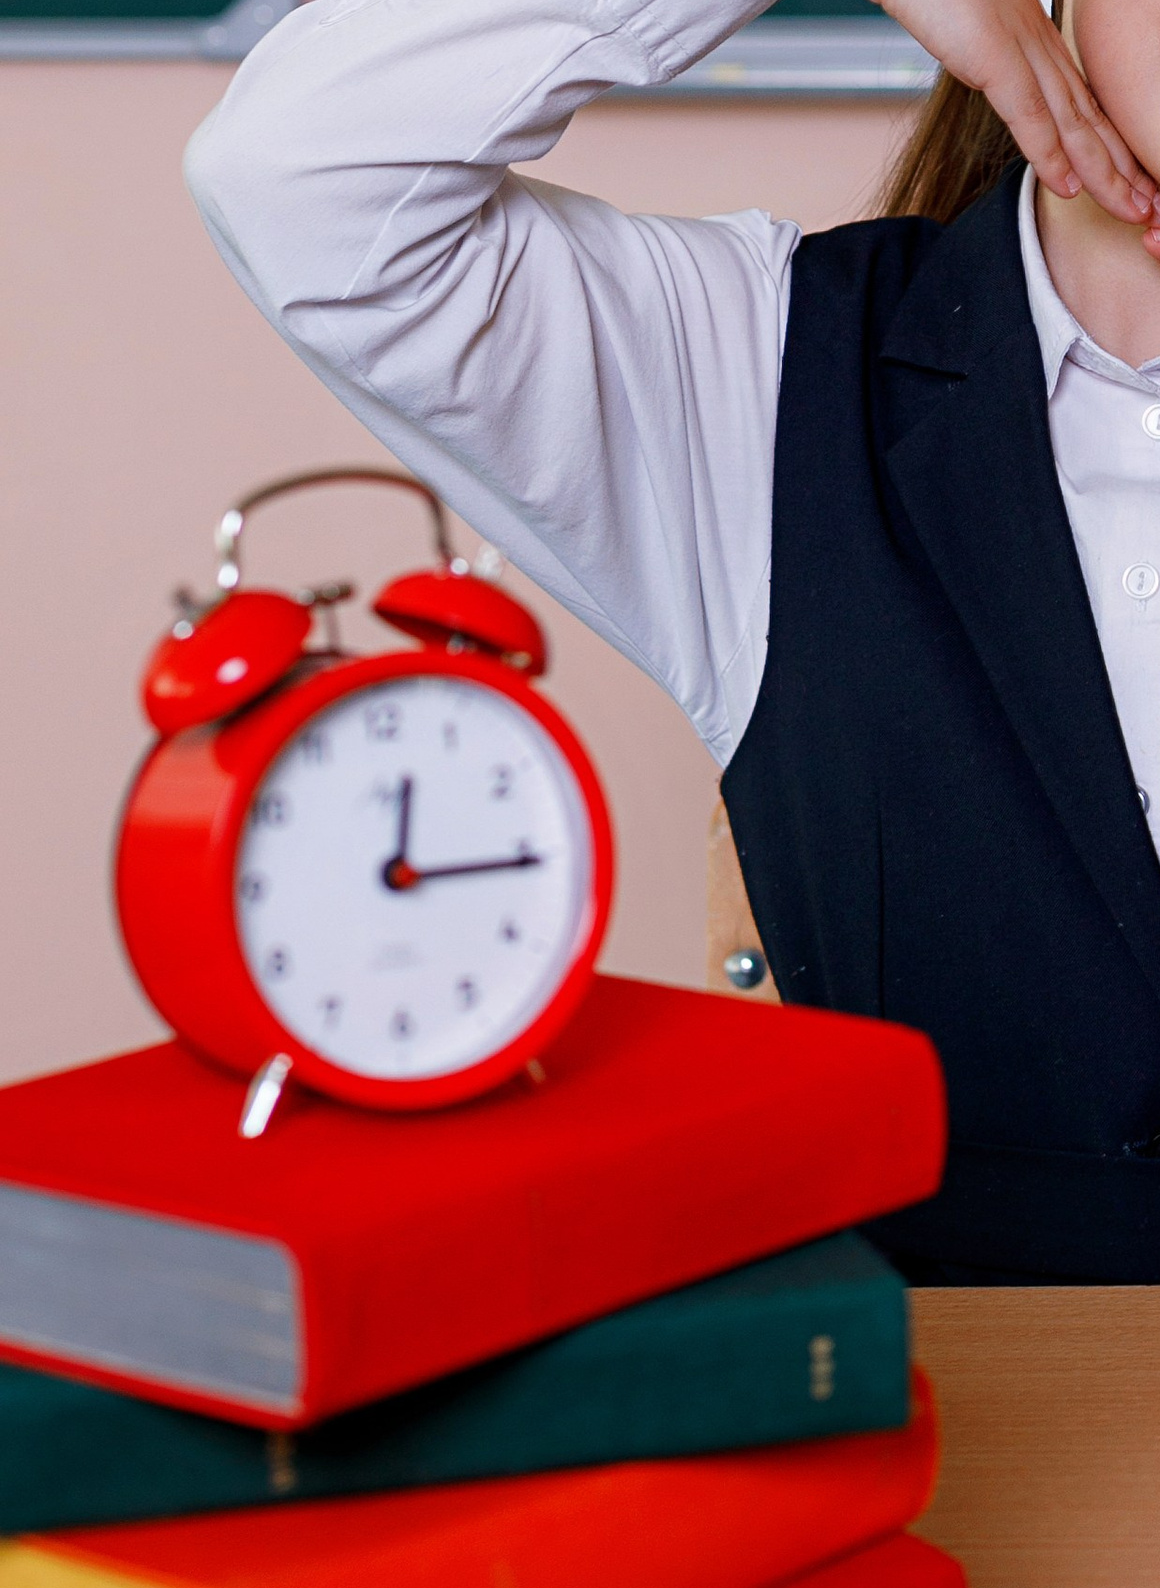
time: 12:15
